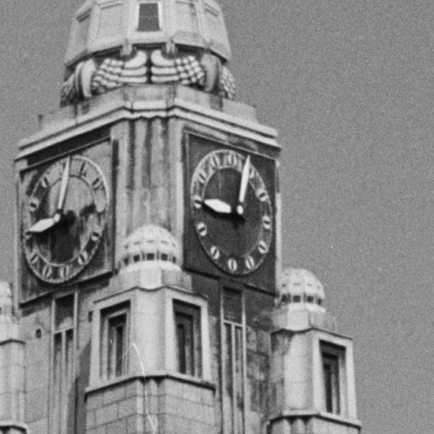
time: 9:03
